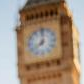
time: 8:01
